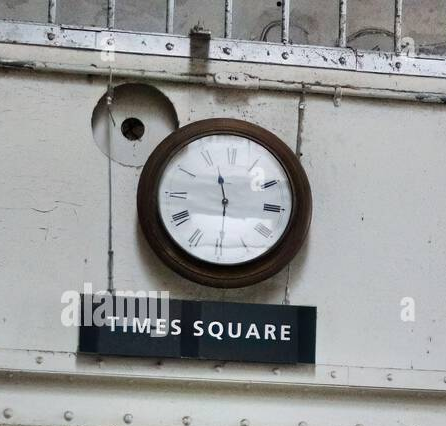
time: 11:29
